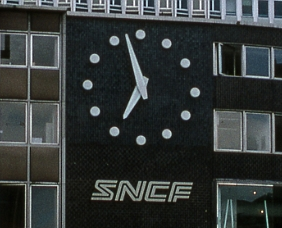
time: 6:57
